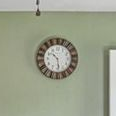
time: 10:28
